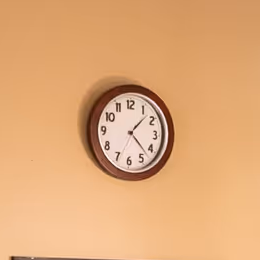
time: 1:22
